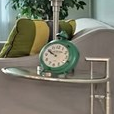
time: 9:50
